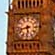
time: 5:42
